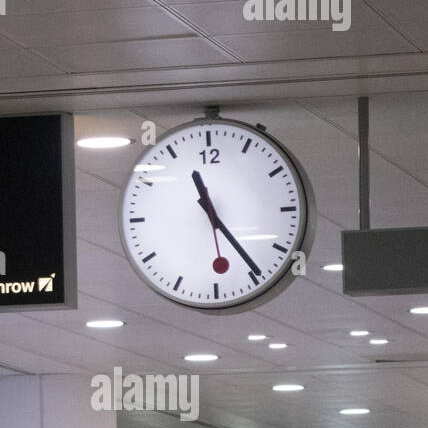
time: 11:24
